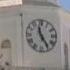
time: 11:24
